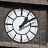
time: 1:09
